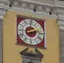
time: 2:12
